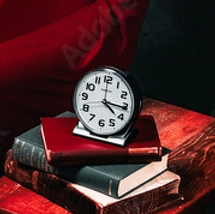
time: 4:15
